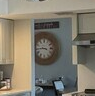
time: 3:43
